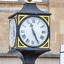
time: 11:25
